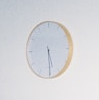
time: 5:29
